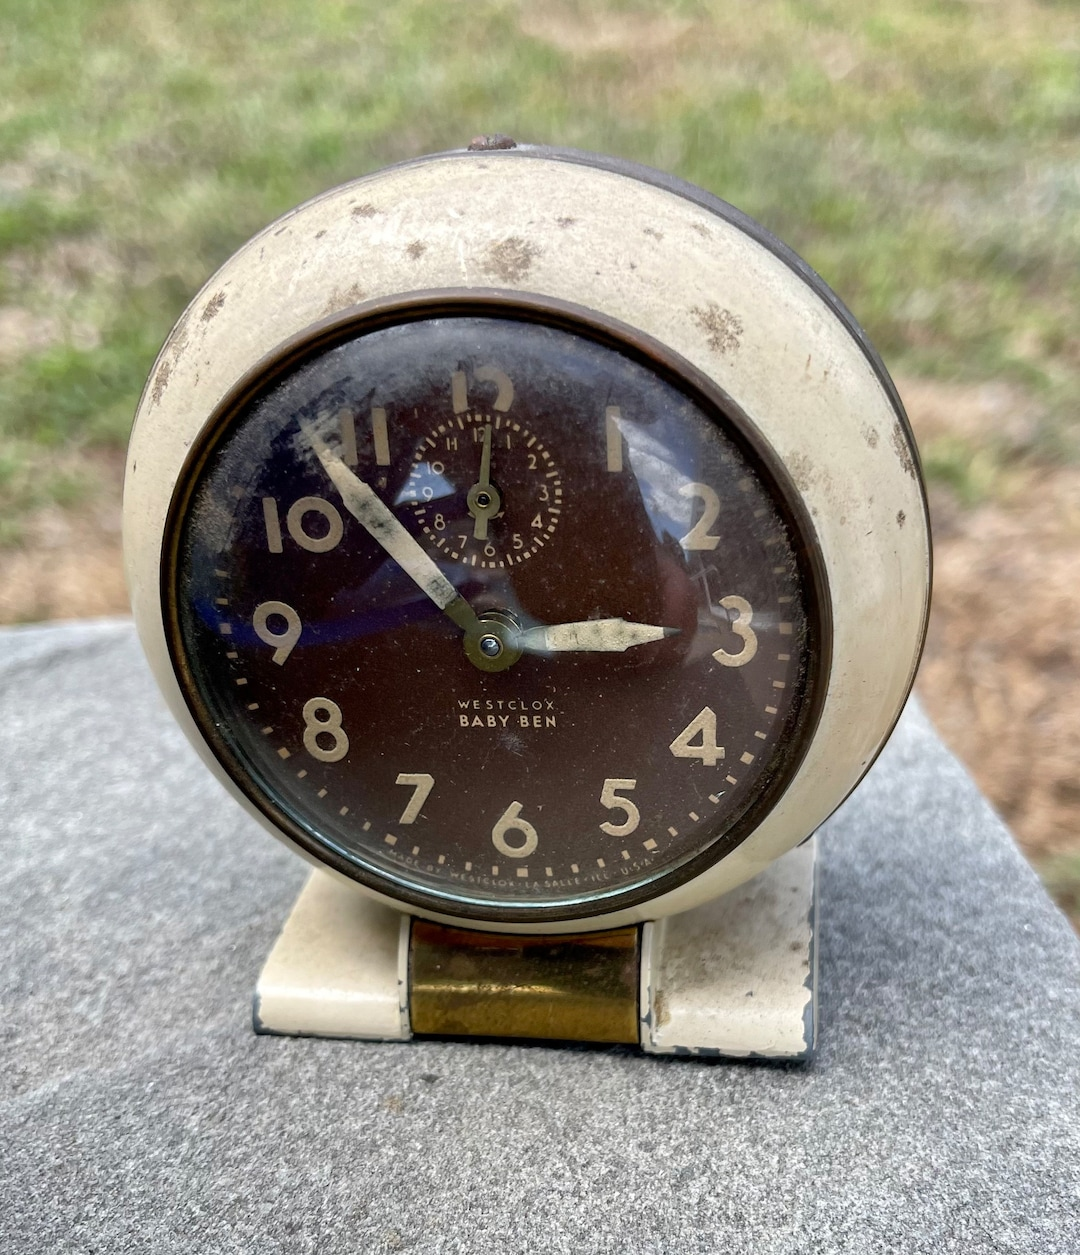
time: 2:53
